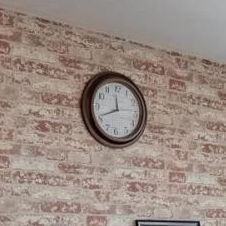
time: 11:41
